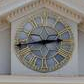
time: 2:43
